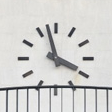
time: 3:57
